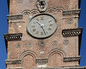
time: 10:26
